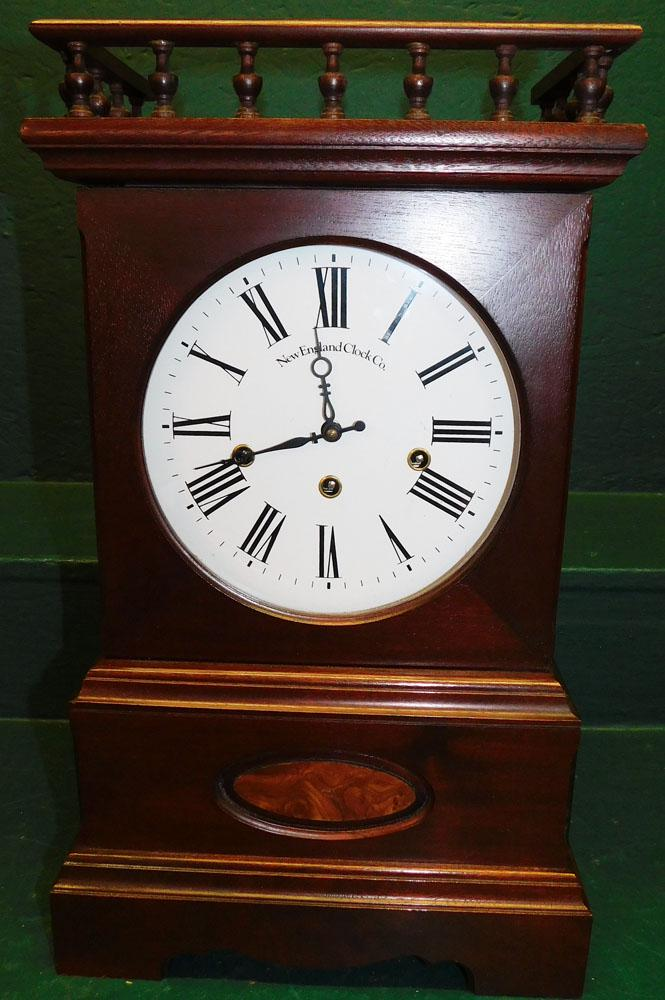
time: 11:41
